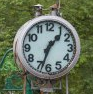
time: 1:33
